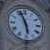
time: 5:56
